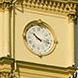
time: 10:17
